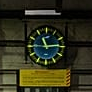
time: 11:14
